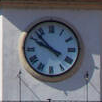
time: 9:52
